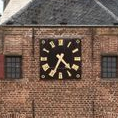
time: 4:34
